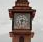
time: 6:15
